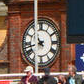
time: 10:42
